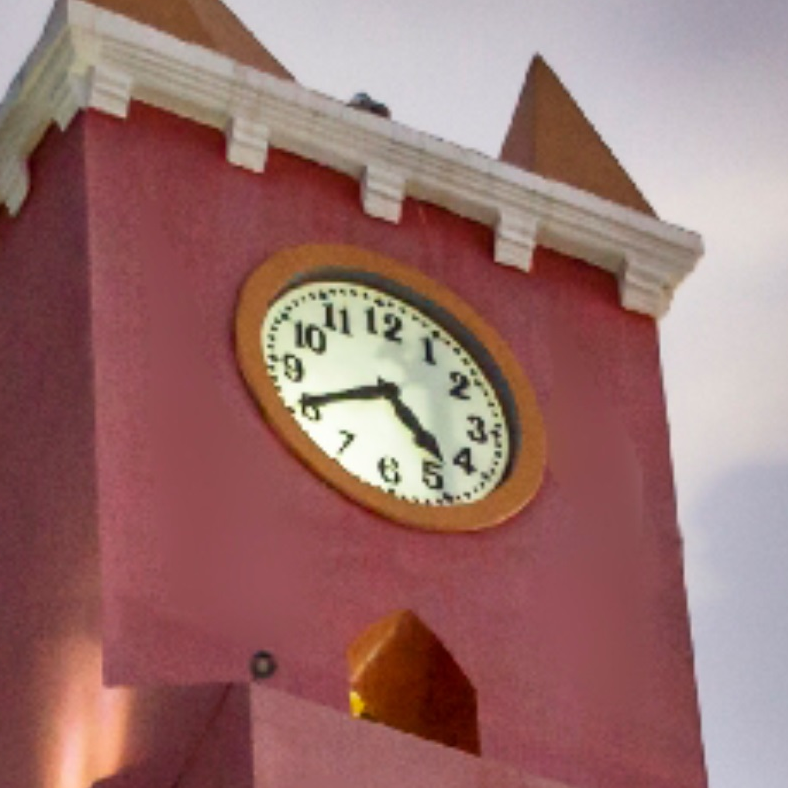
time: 4:40
